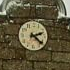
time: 2:21
